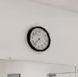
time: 7:37
